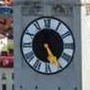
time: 5:24
